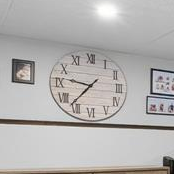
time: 9:36
